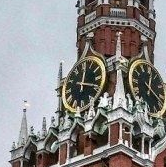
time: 12:18
